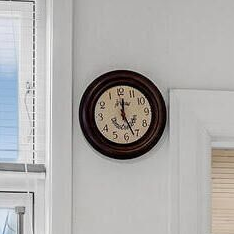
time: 12:26
